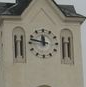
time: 11:47
